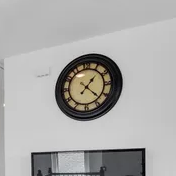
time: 1:22
